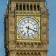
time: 6:18
